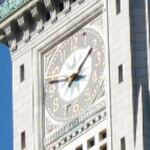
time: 1:46
